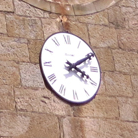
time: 4:10
